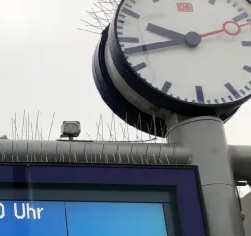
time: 9:42
